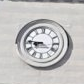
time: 8:46
